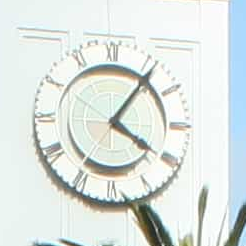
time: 4:06
